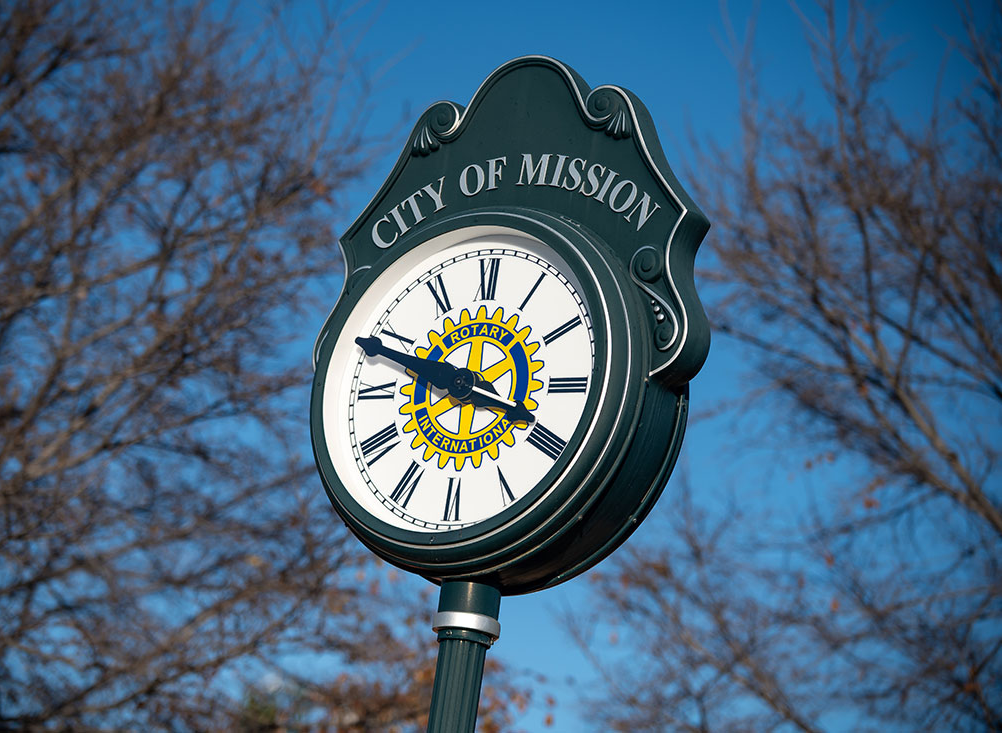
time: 3:48
